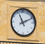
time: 11:11
